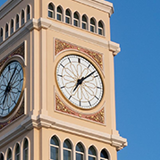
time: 7:08
